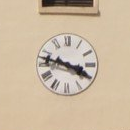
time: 3:47
